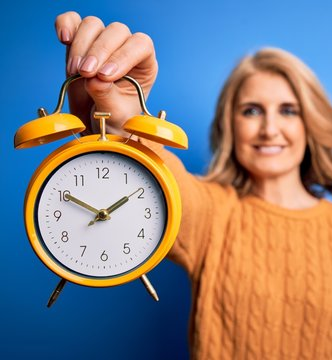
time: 1:50
